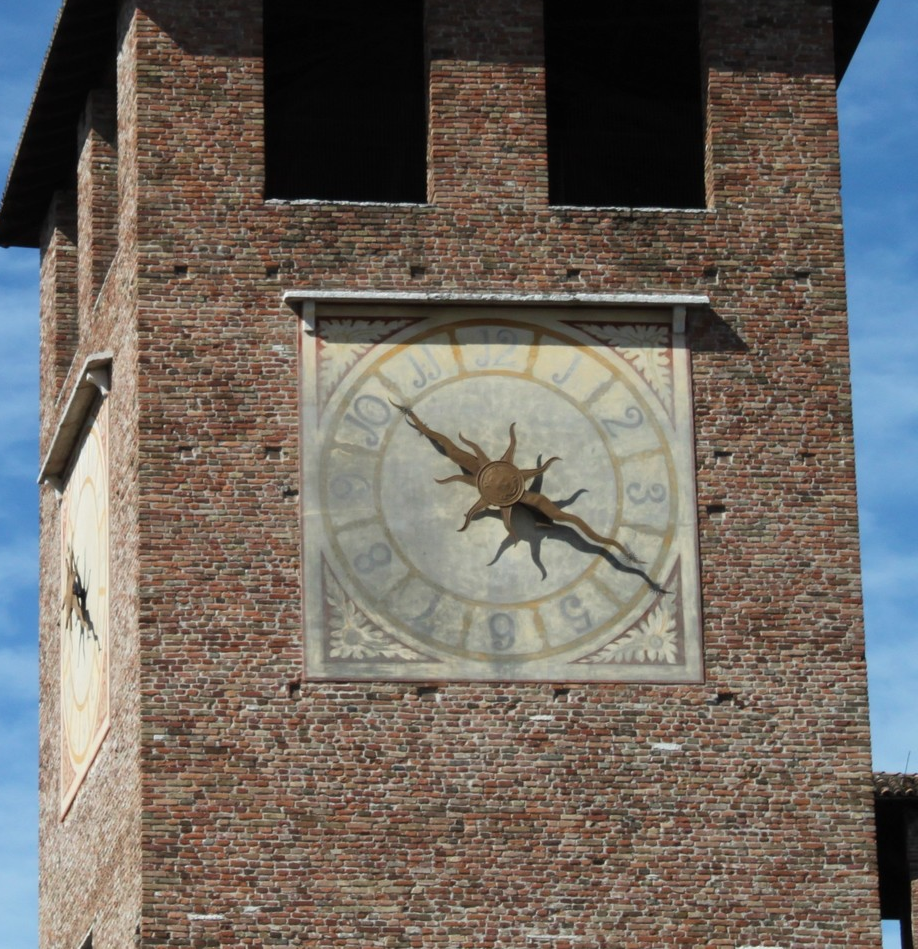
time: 3:52
